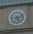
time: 5:11
